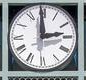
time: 2:59
